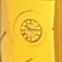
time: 10:14
